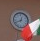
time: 12:41
